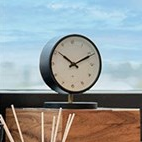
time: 10:10
